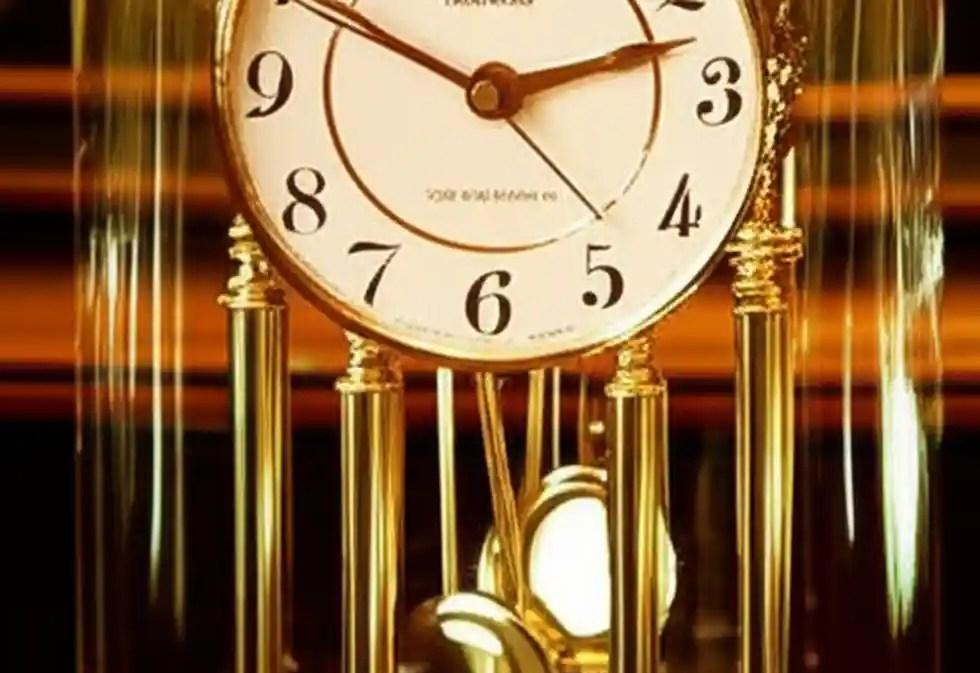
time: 10:12
